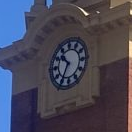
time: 10:34
